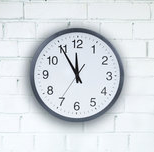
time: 11:54
